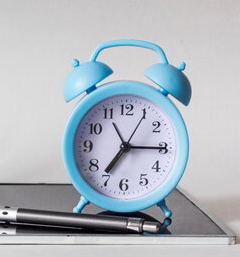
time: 7:15
